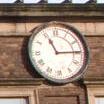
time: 11:14
